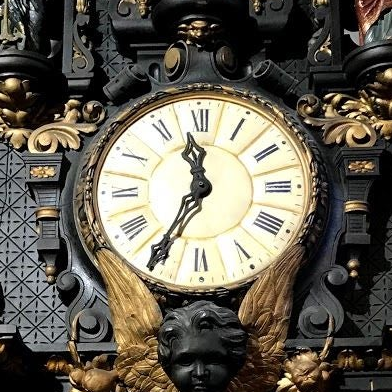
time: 11:34
